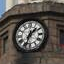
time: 1:33
